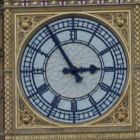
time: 2:54
